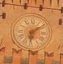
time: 6:08
